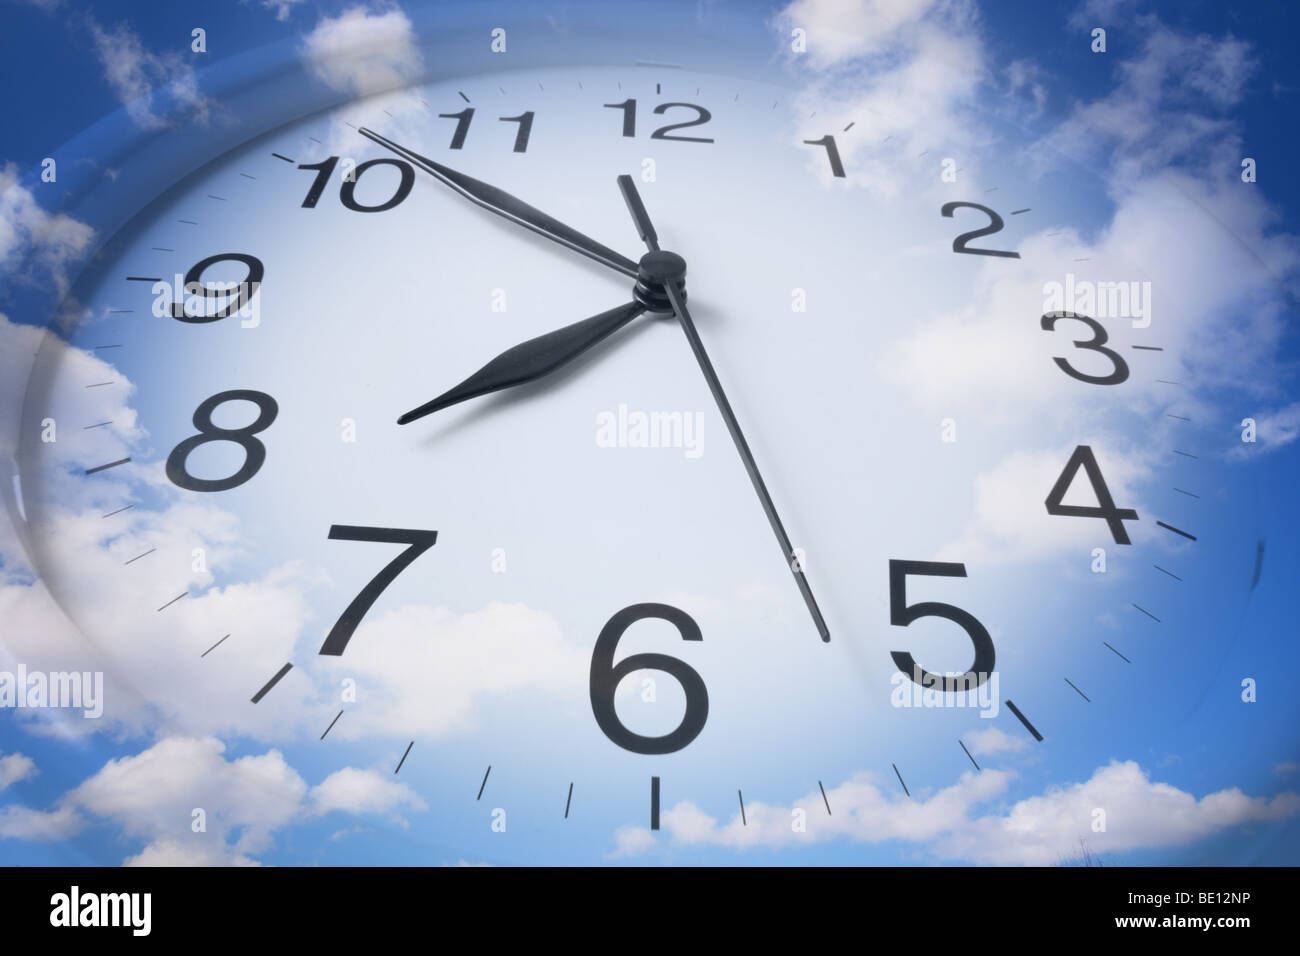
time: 7:51
